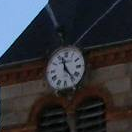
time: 11:23
